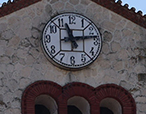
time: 11:13
